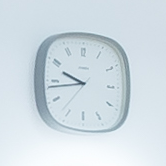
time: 9:43
